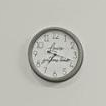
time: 7:17
